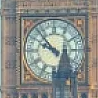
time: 9:53
